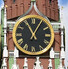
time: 11:05
